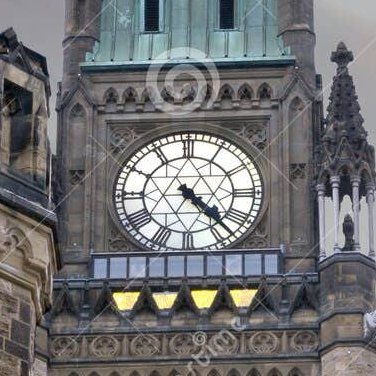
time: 4:22
